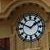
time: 1:49
